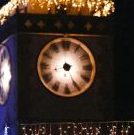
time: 8:25
